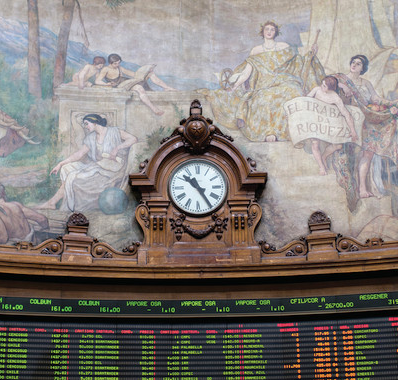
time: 10:24
